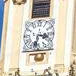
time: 3:32
